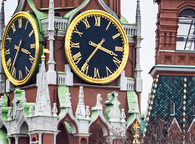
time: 3:36
